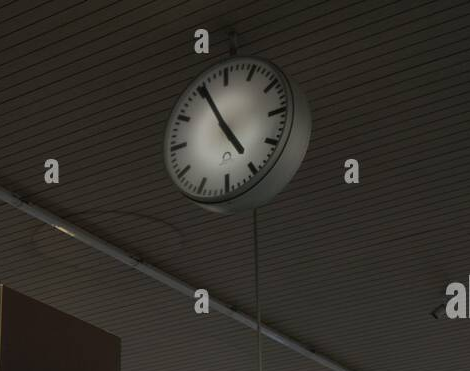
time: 4:55
